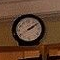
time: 2:09
